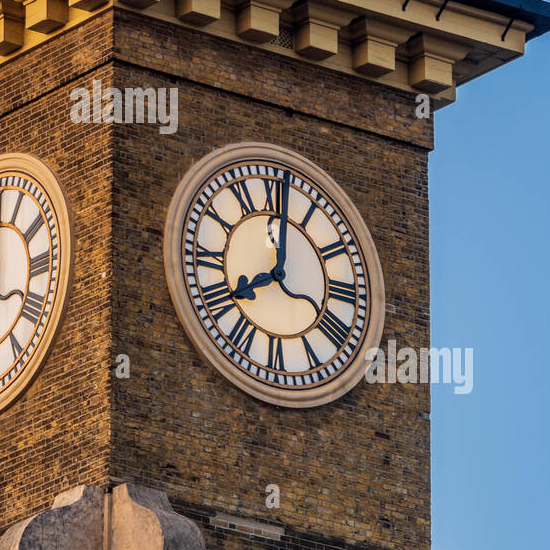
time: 8:01
